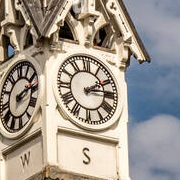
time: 2:14
